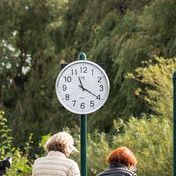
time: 11:20
